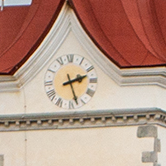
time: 2:27
